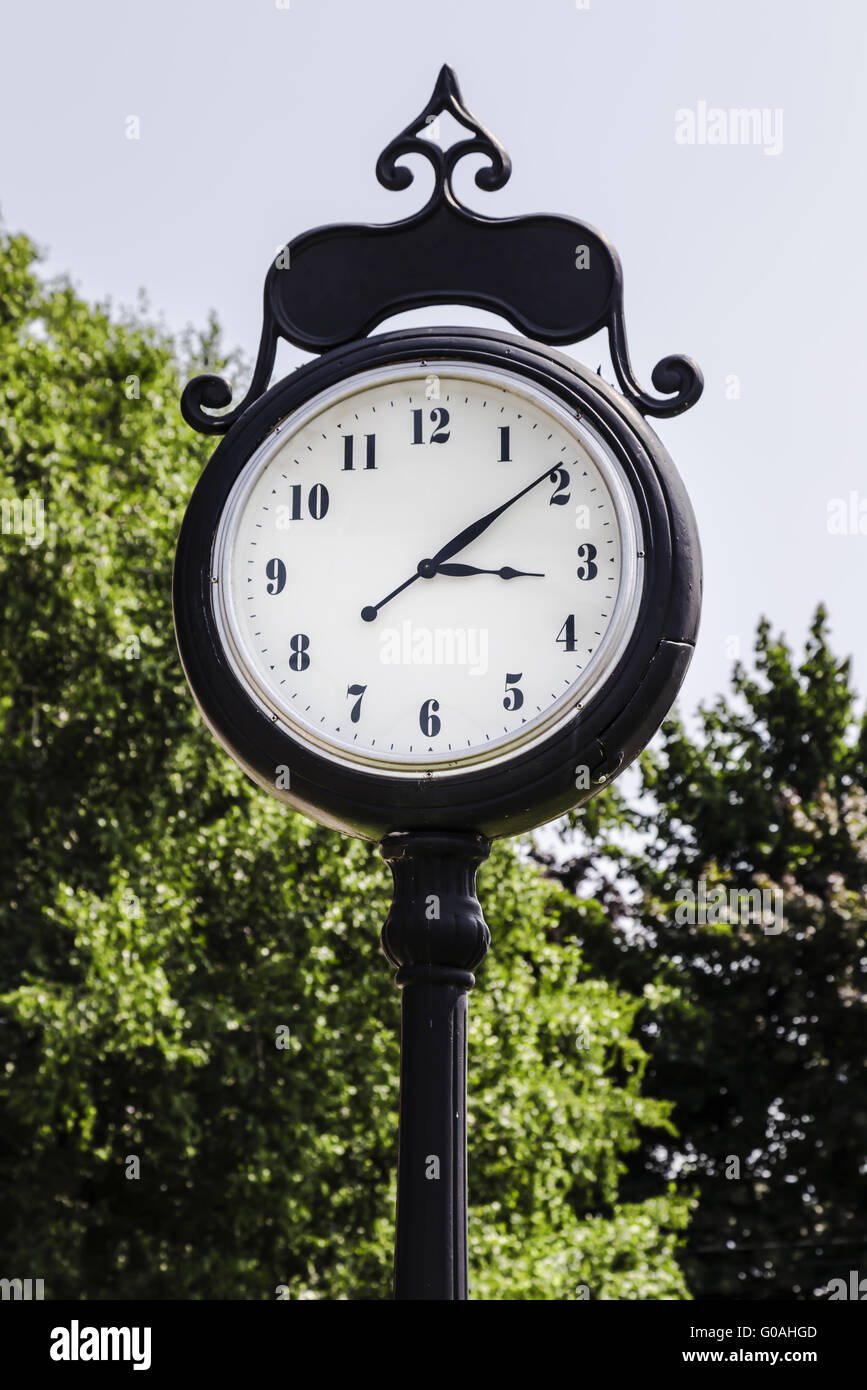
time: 3:09
